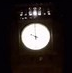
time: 10:00
